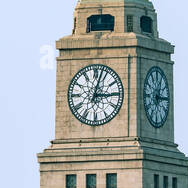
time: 3:02
